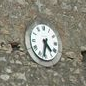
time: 4:32
